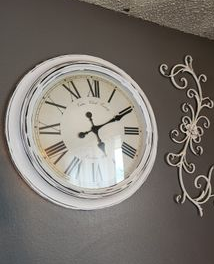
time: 5:10
